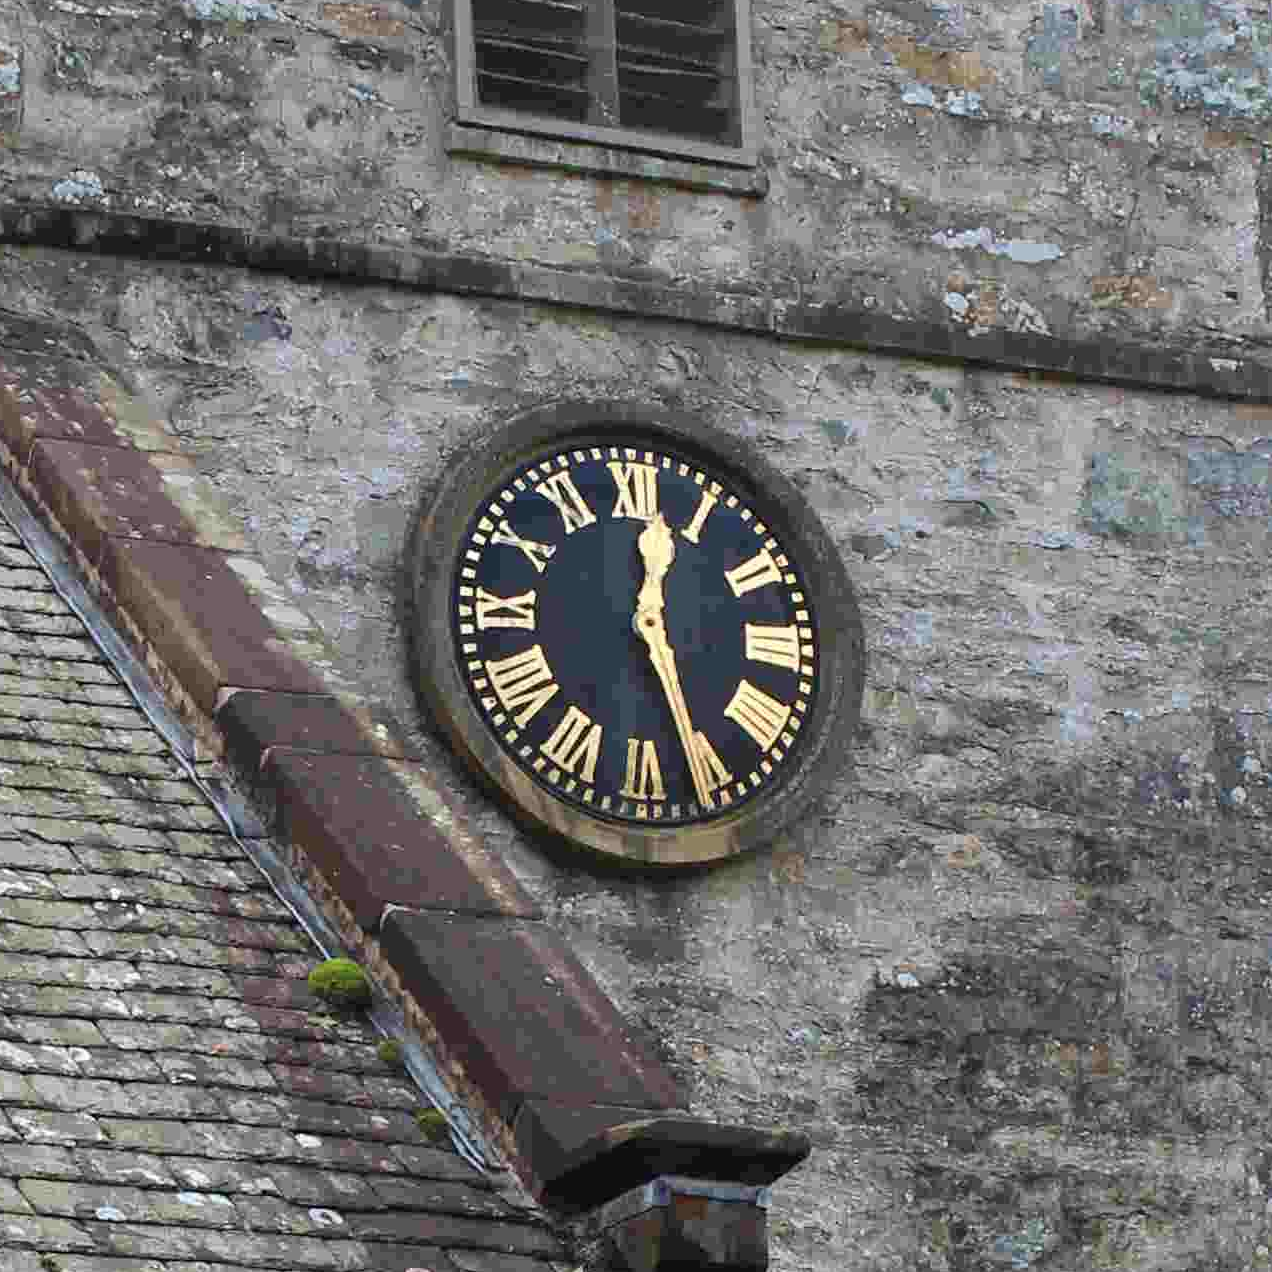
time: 12:26
